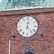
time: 12:23
